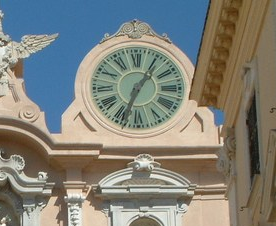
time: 1:33
